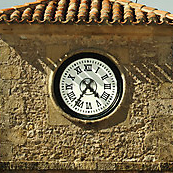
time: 4:35
